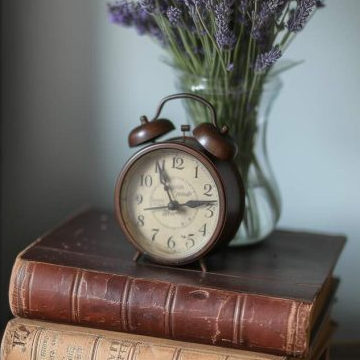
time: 11:13
